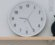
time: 9:25
